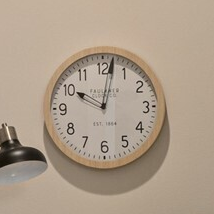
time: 10:02
